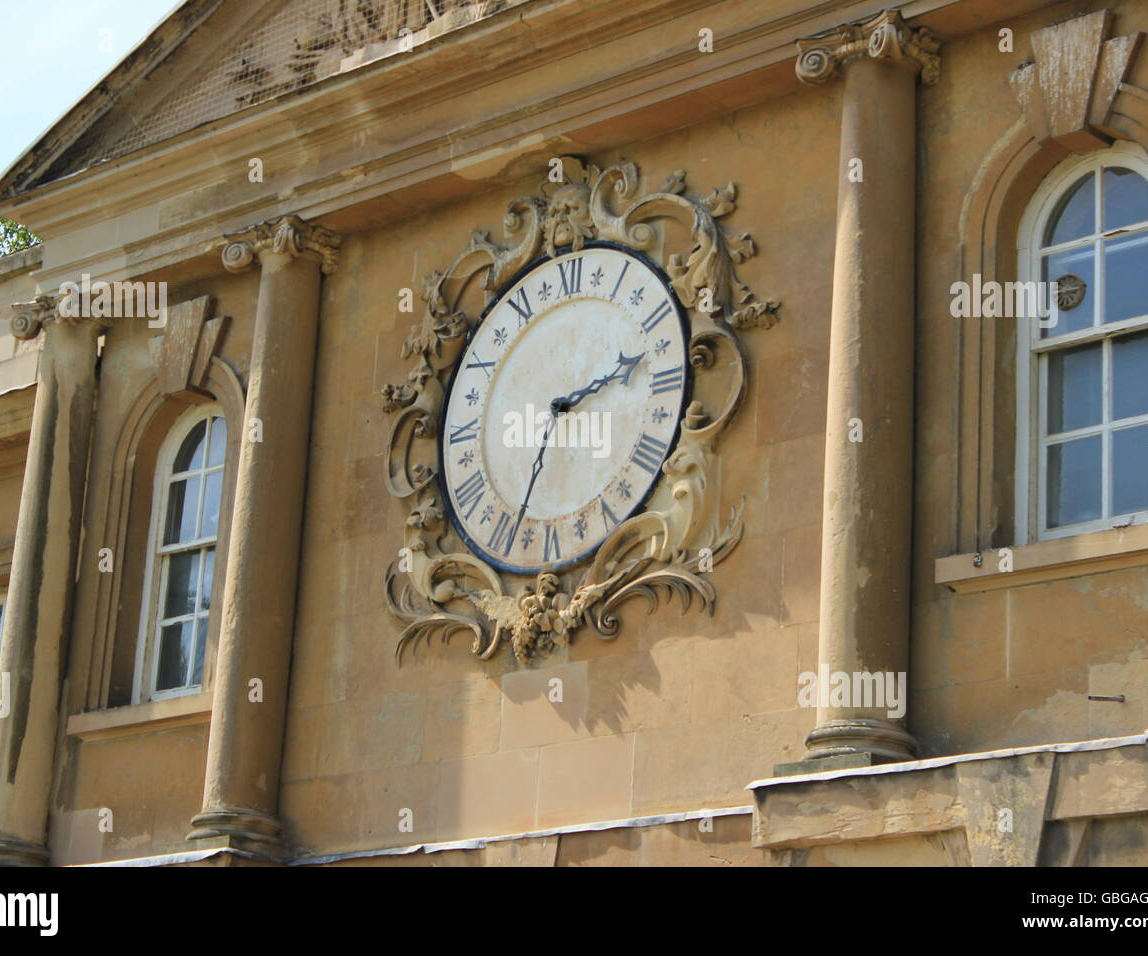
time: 2:33
